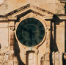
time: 5:49
